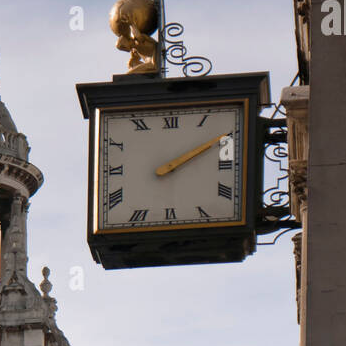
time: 2:09
